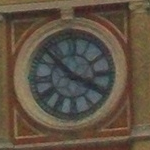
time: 3:52
